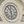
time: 11:28
